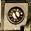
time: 11:24
